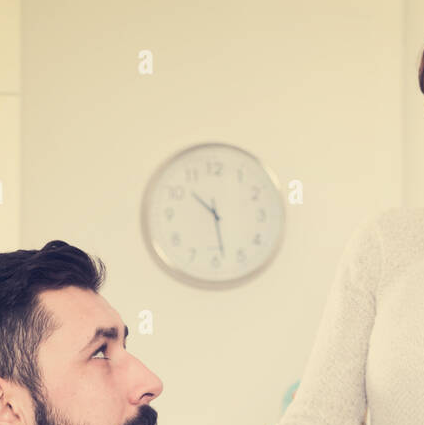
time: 10:28
